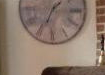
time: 1:33
